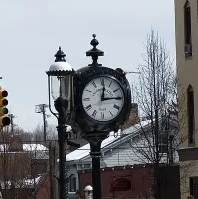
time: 12:14
